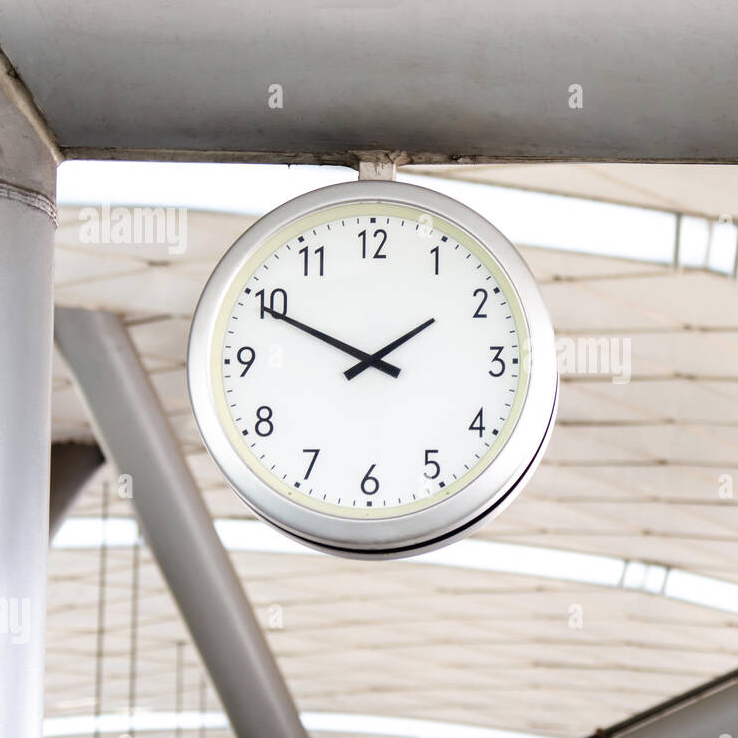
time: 1:49
